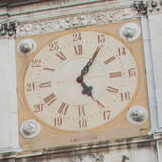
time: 5:05
